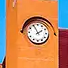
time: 1:55
